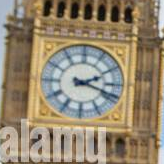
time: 2:18
